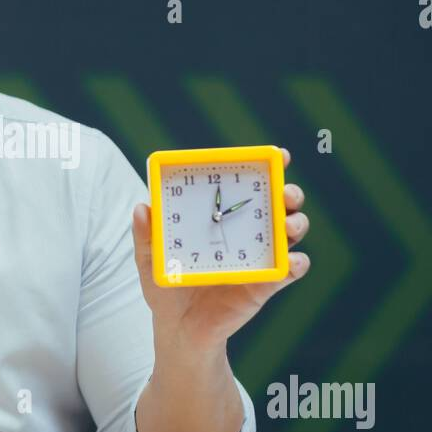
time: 12:11
